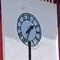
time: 1:33
